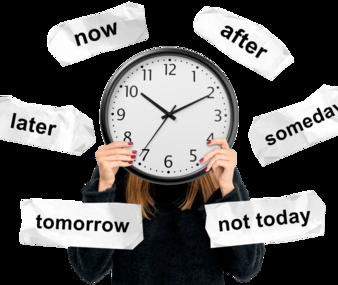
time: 10:10
